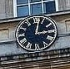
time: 3:02
